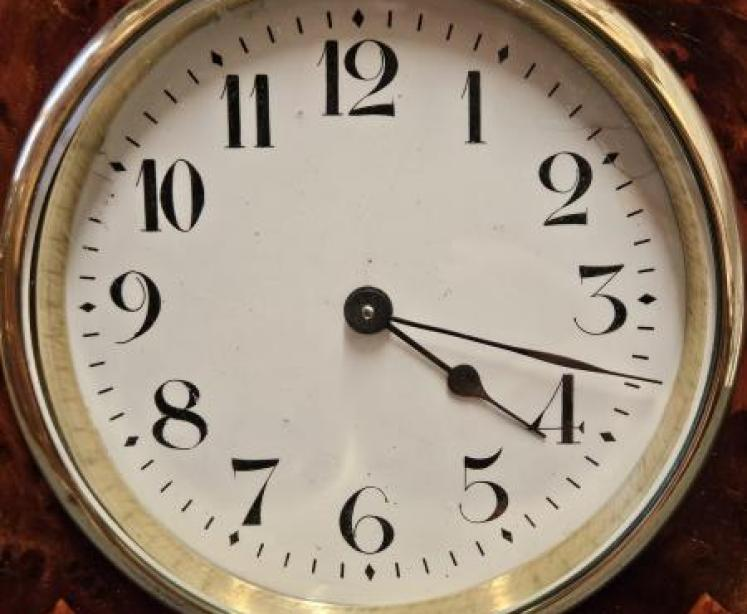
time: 4:17
